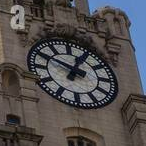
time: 12:49
